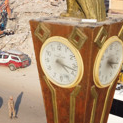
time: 4:17
